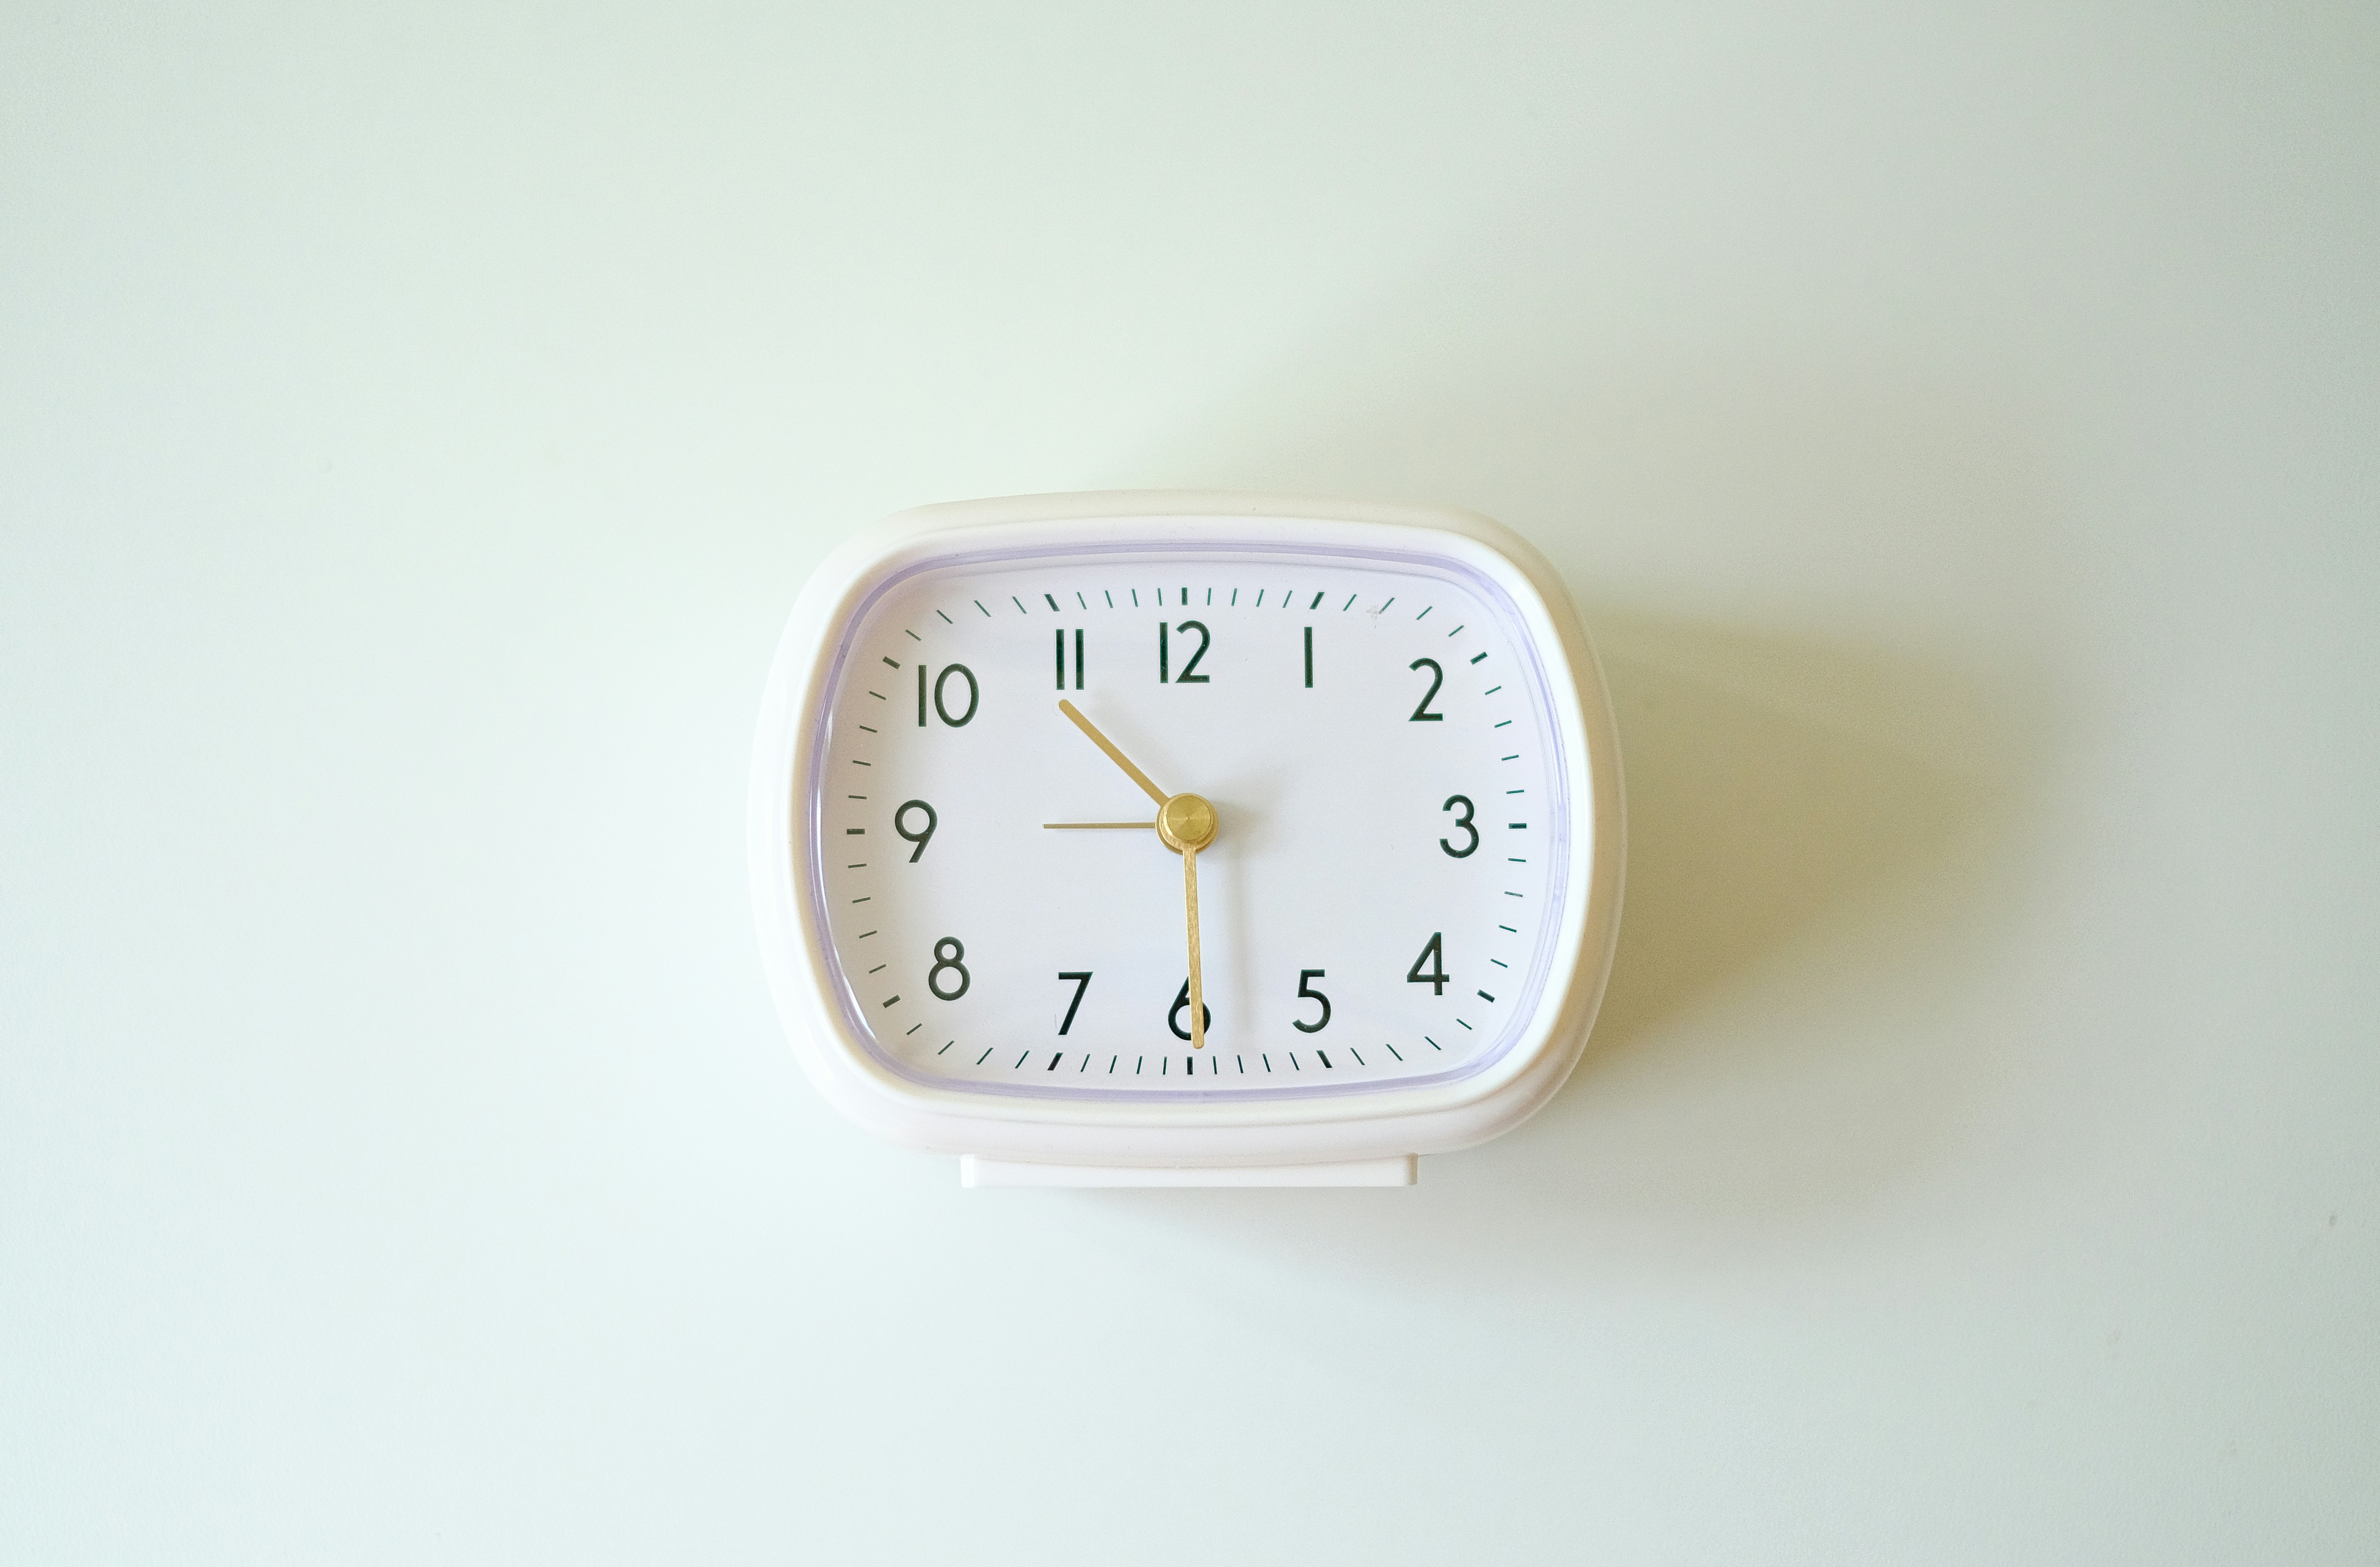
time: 10:29
